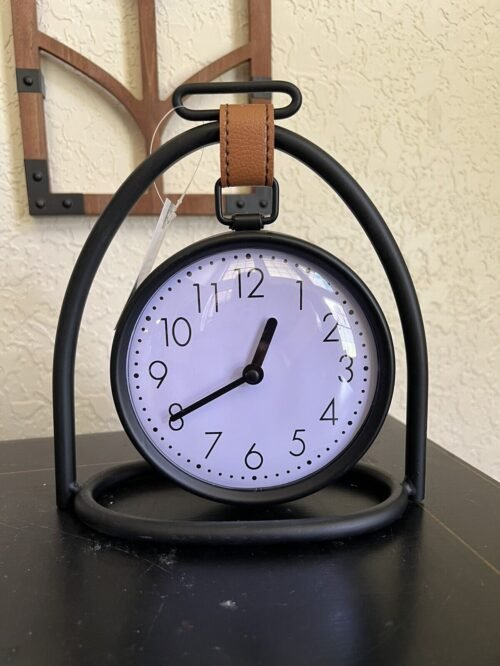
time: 12:40
